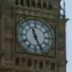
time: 11:25
